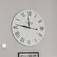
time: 11:46
